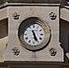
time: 5:26
